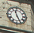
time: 11:25
